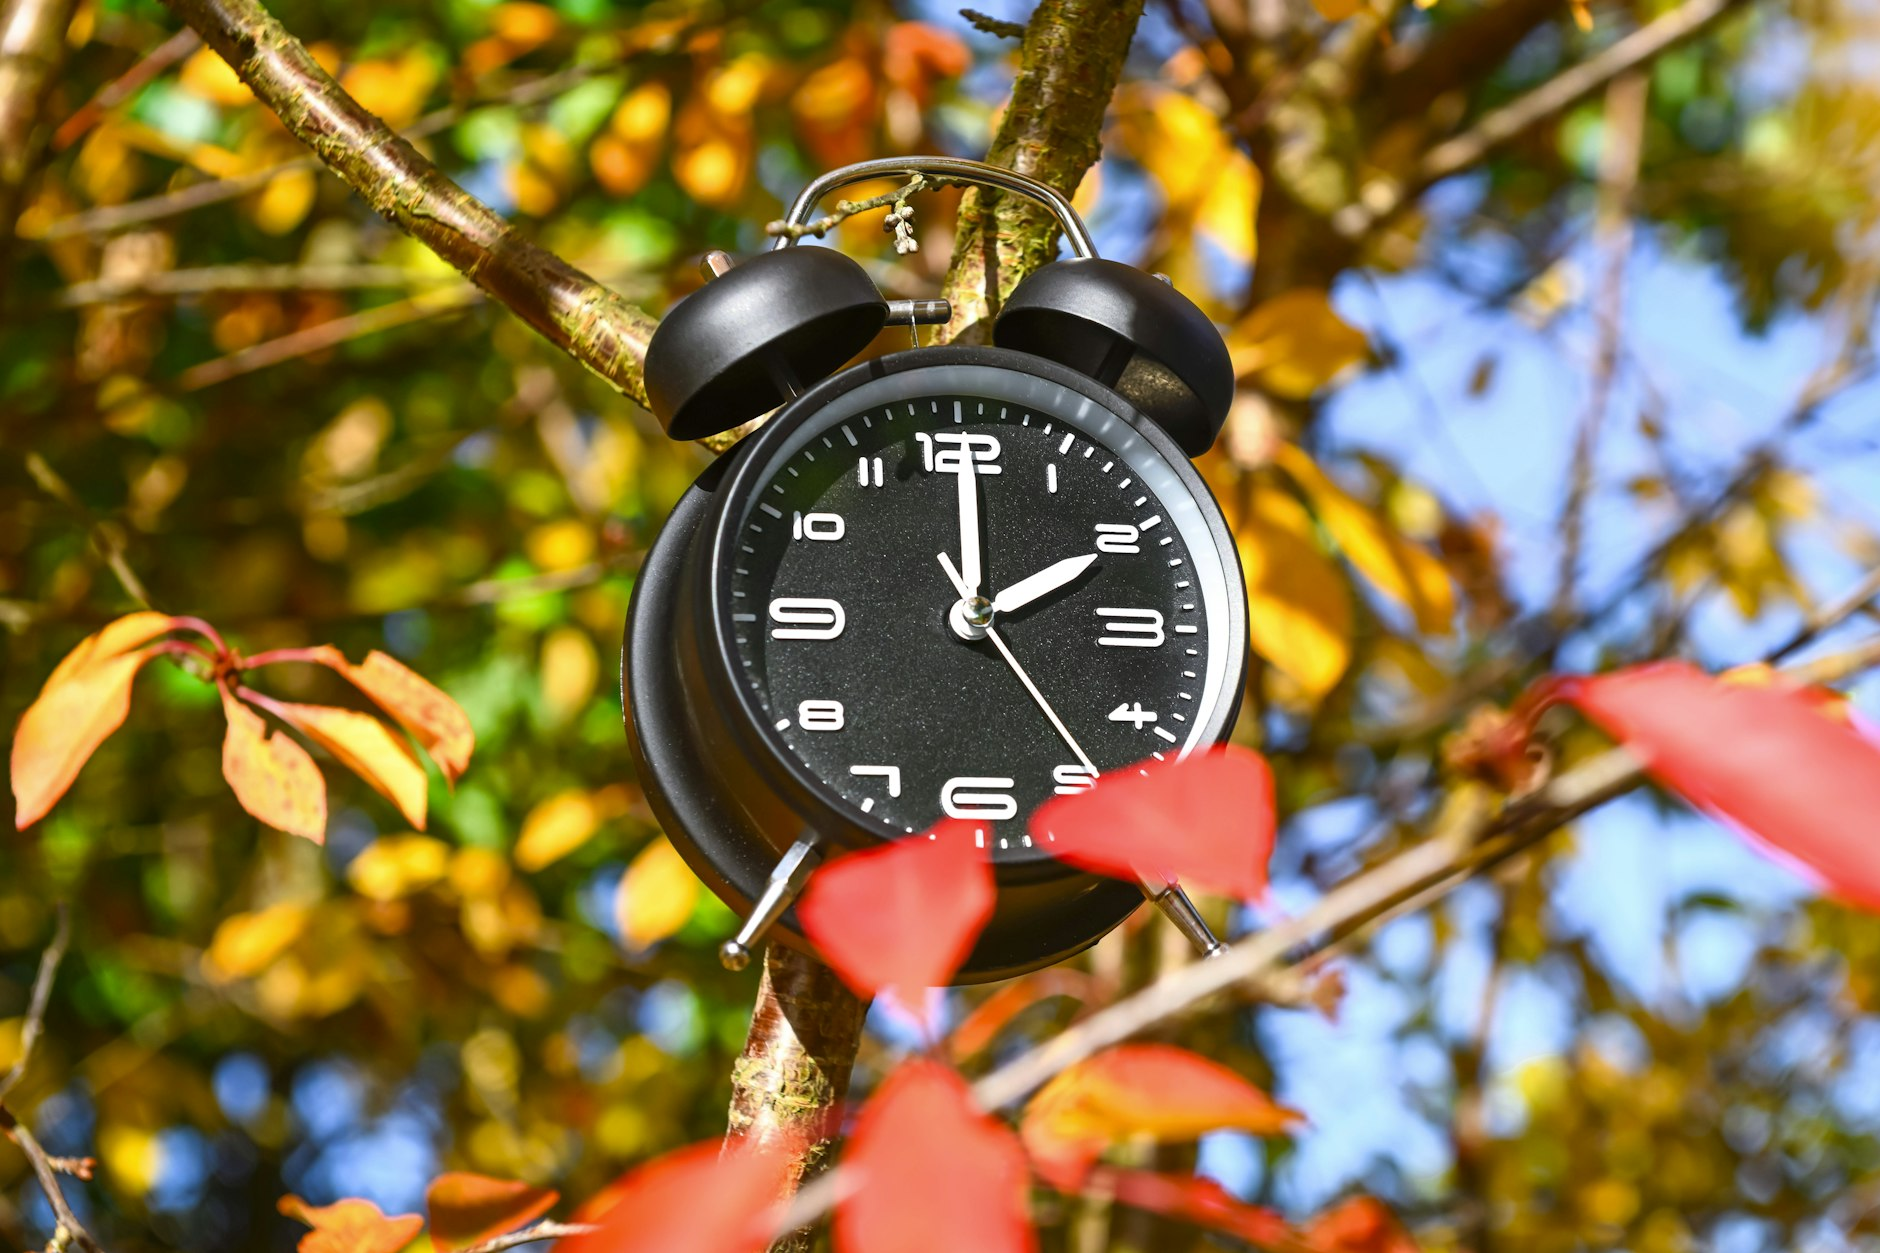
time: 2:00
